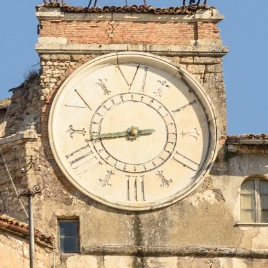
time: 8:43
